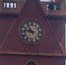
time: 10:47
